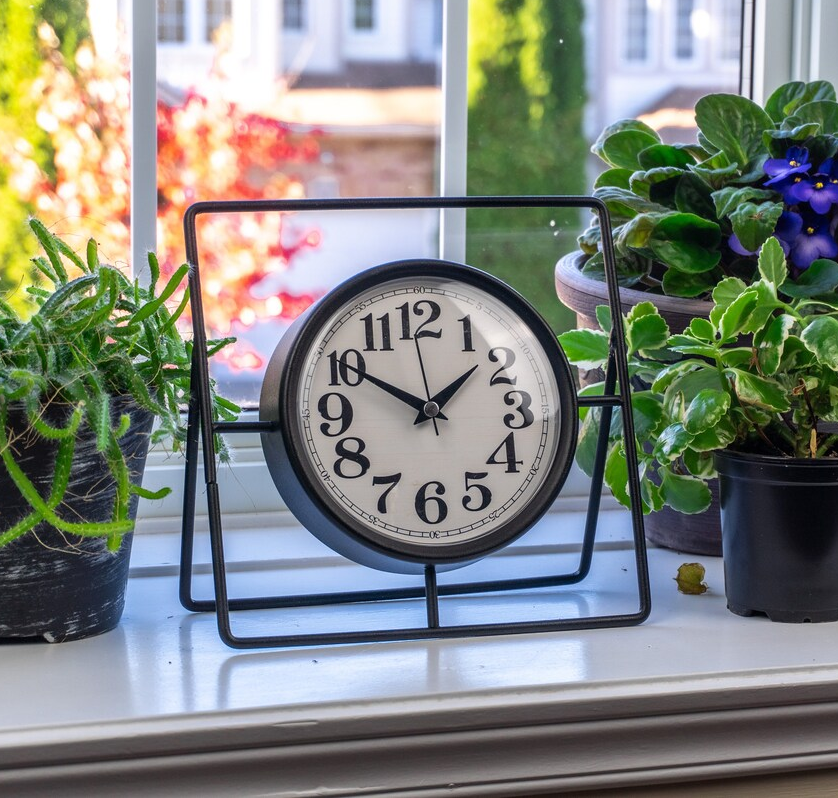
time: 1:50
